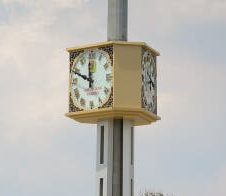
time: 11:49
